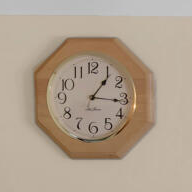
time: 1:16
